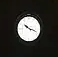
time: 10:18
